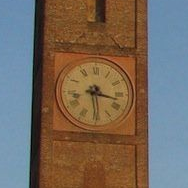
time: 3:29
